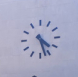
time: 4:27
